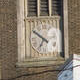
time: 6:50
